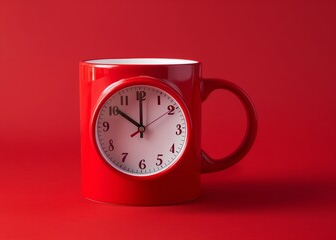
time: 10:00
